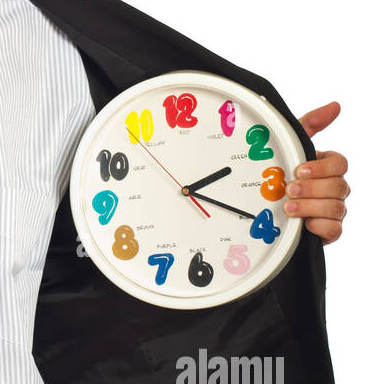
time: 2:19
